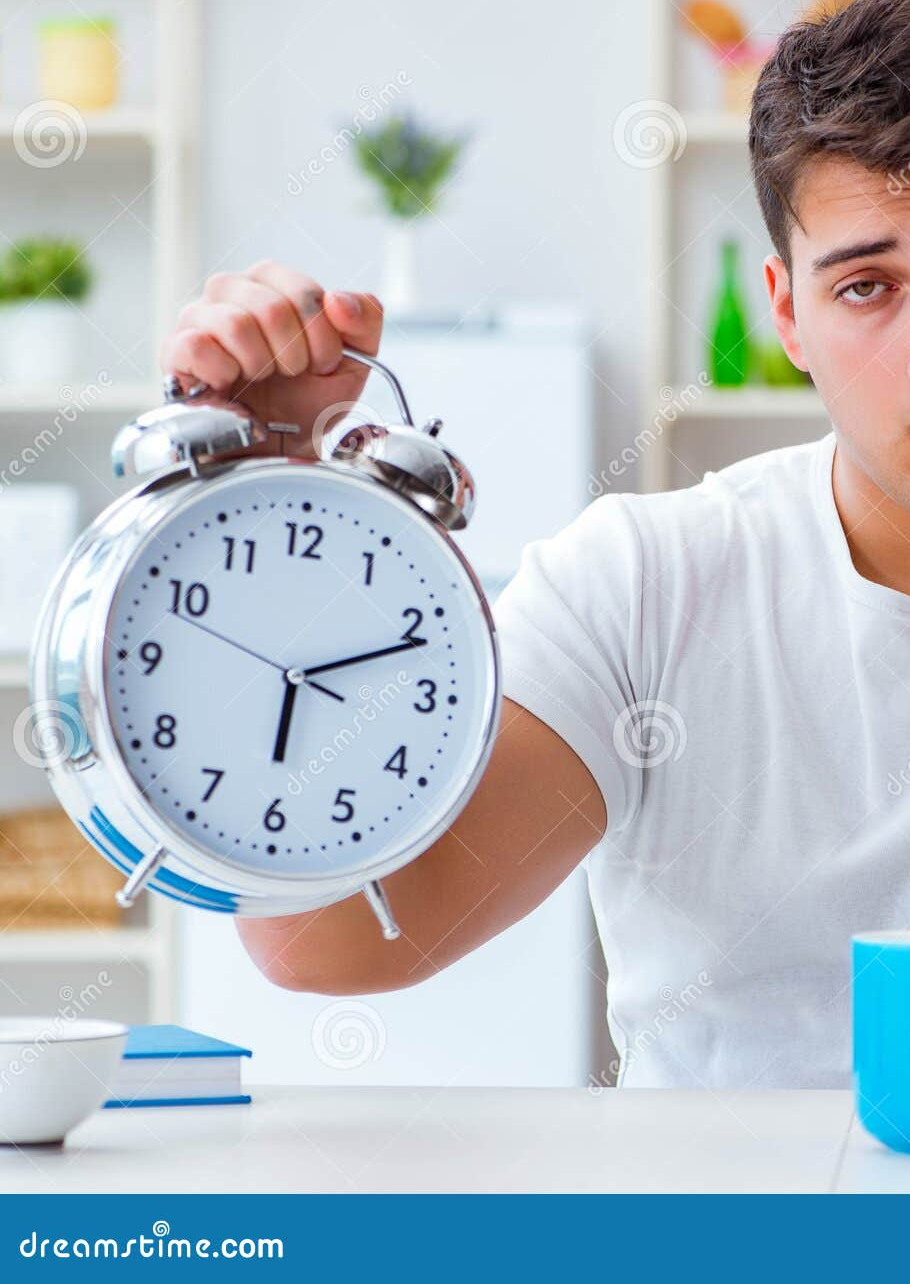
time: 6:11
